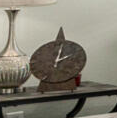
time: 2:01
